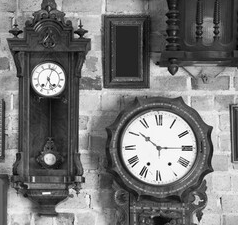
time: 10:14
